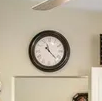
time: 11:22
